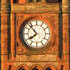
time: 7:52
